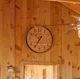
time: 10:35
